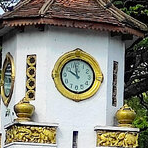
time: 9:58
